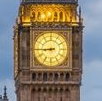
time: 8:44
